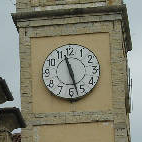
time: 11:27
